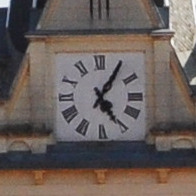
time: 5:05
